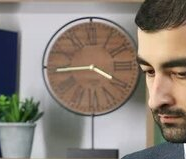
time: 3:44
